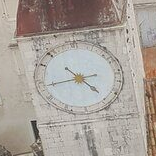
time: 4:44
